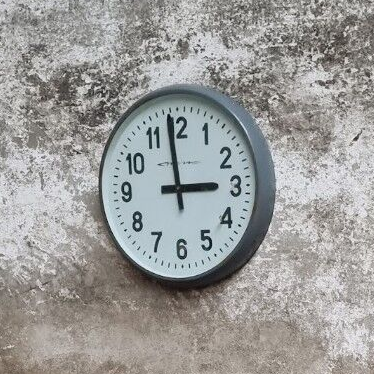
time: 2:58
